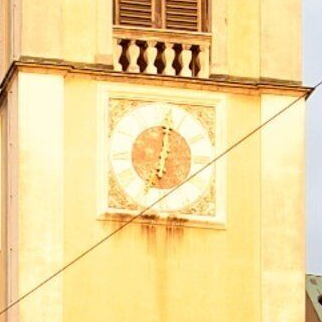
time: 7:01
